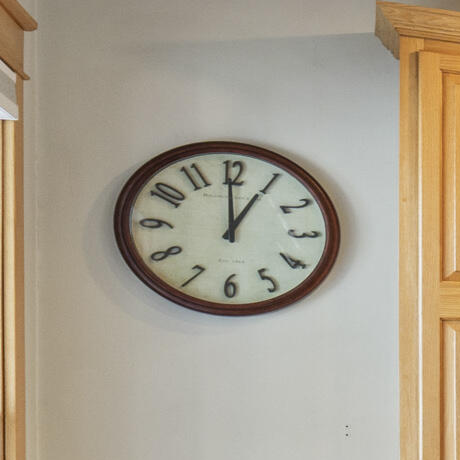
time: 12:59
